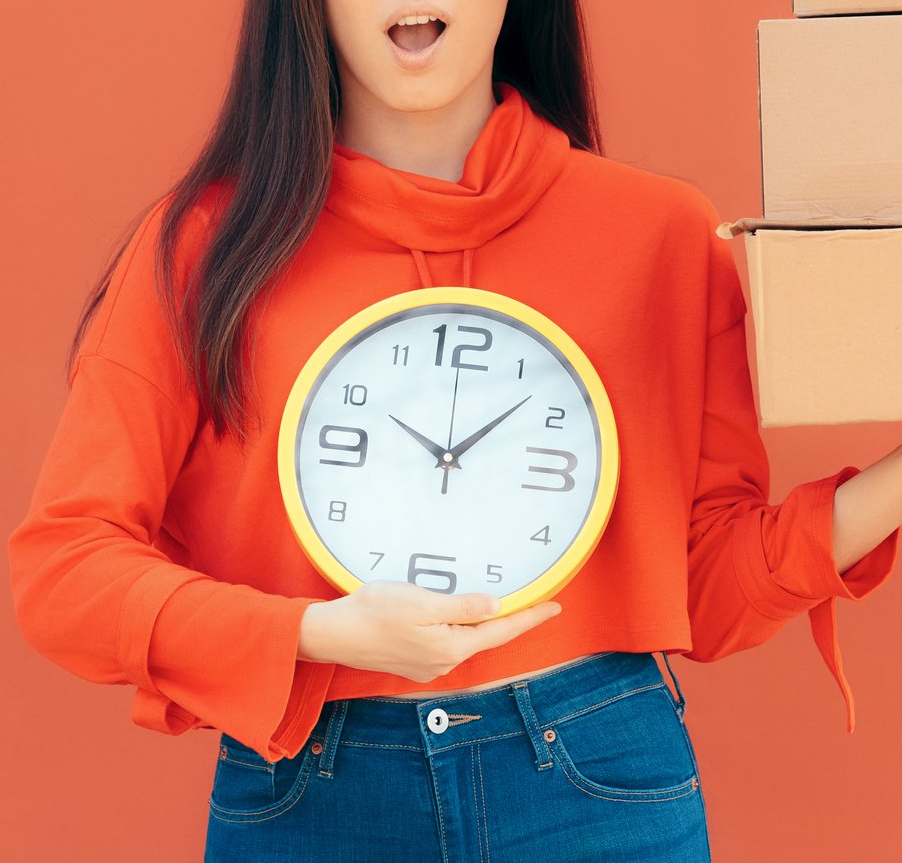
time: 10:07
